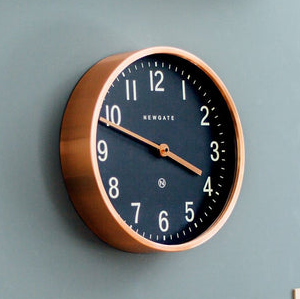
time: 3:48
